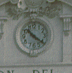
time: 10:20
